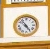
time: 4:53
